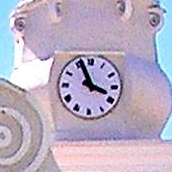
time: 3:56
